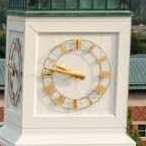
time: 9:47
